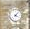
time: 4:07
